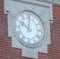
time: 10:00
